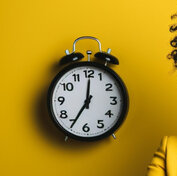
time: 7:00
